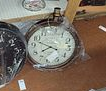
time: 7:48
